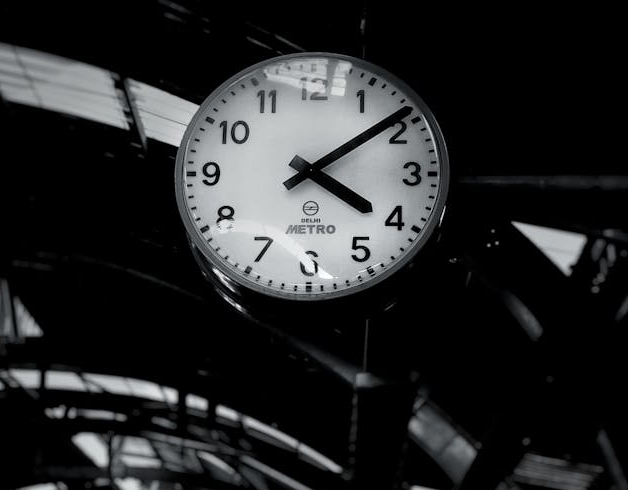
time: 4:08
